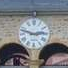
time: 2:48
